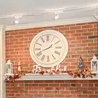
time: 1:41
